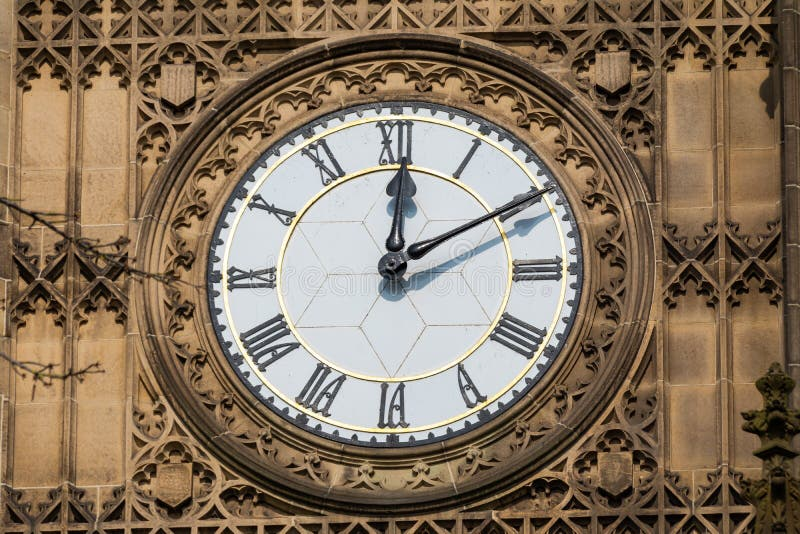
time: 12:09
